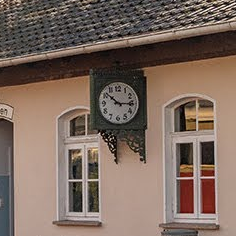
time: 10:14
